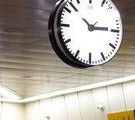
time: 10:14
